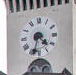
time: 4:33
